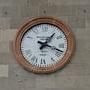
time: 1:18
